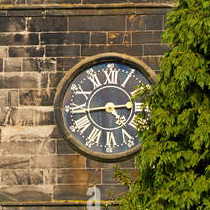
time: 4:44
